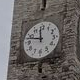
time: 11:47
